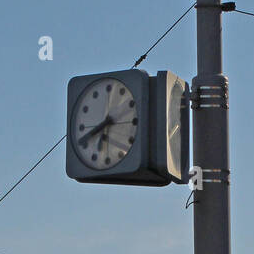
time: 6:41
